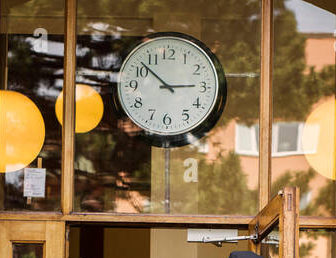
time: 2:52
